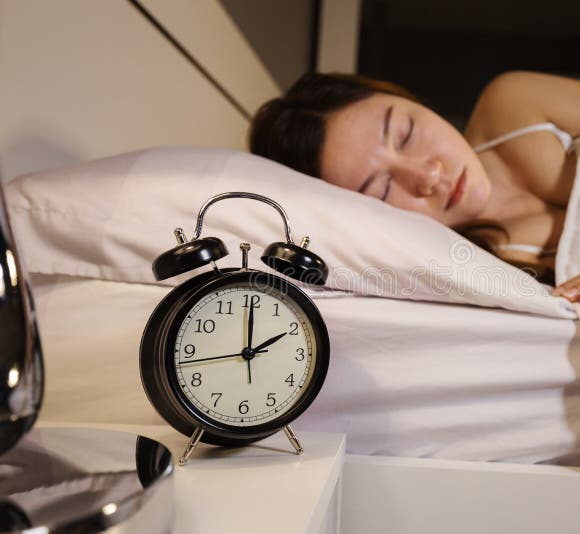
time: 2:00
